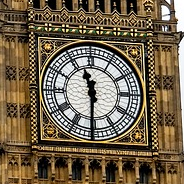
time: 11:30
